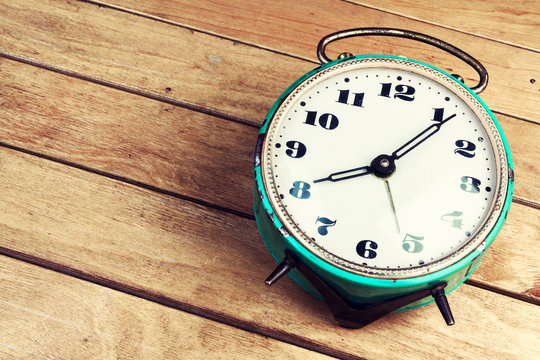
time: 8:06
